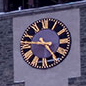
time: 4:46
